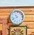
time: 10:41
